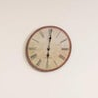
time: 6:00
